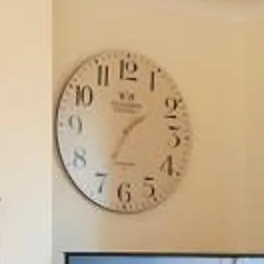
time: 1:34
